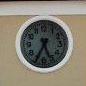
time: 5:34
